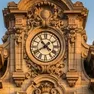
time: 10:40
